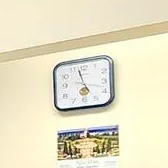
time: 4:57
